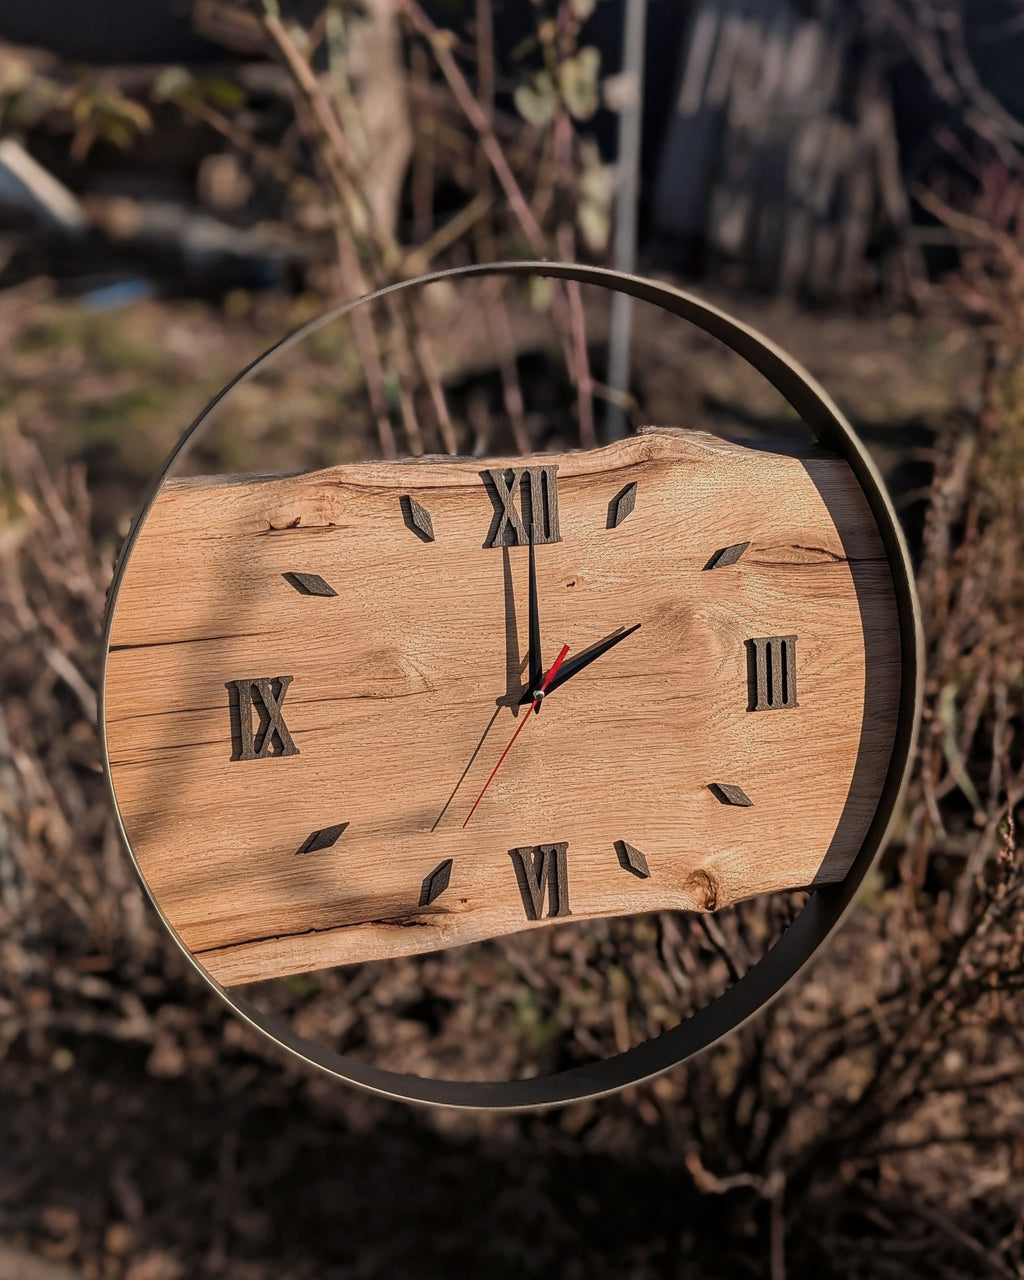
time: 1:59
